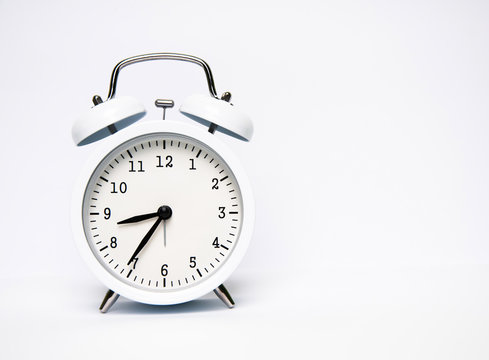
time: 8:35
